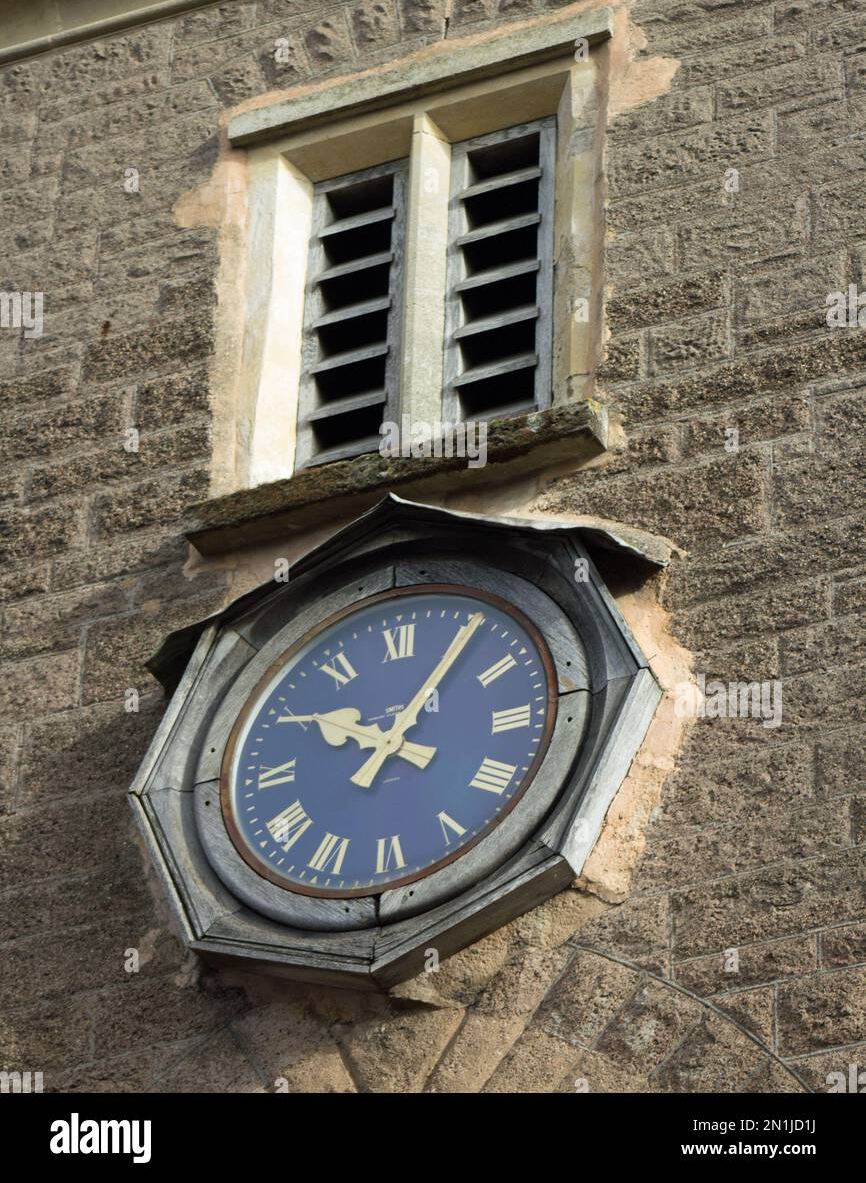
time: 10:05
